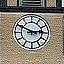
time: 2:49
